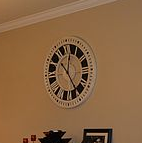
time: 12:24
